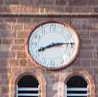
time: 8:14
